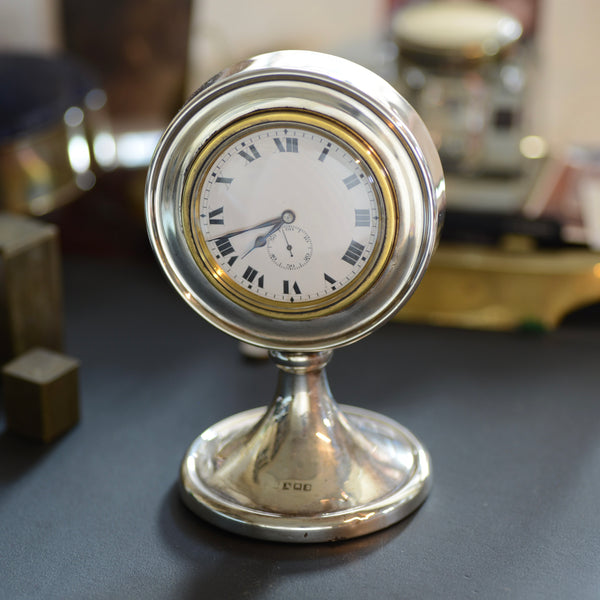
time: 7:42
